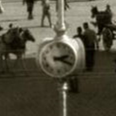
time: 2:18
